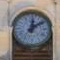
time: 12:09
